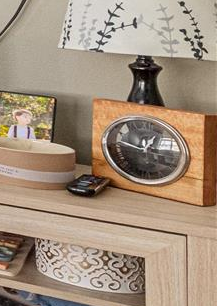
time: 12:47
